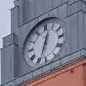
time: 12:33
